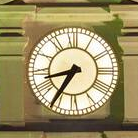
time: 8:35
